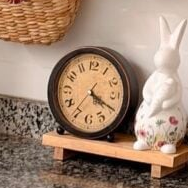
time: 4:19
